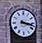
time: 3:17
